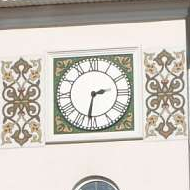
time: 2:31
